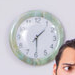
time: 1:29
